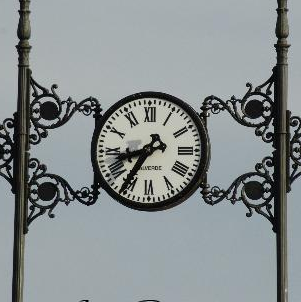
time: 8:35
